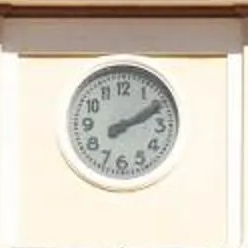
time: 2:09
